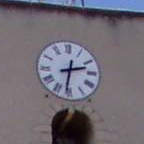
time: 2:31
